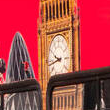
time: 9:43
